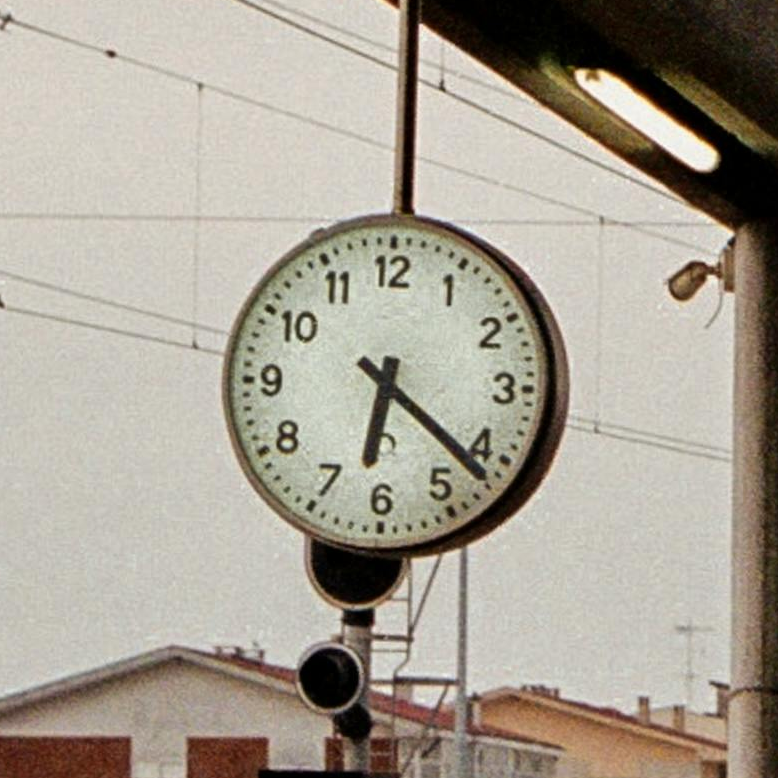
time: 6:21
